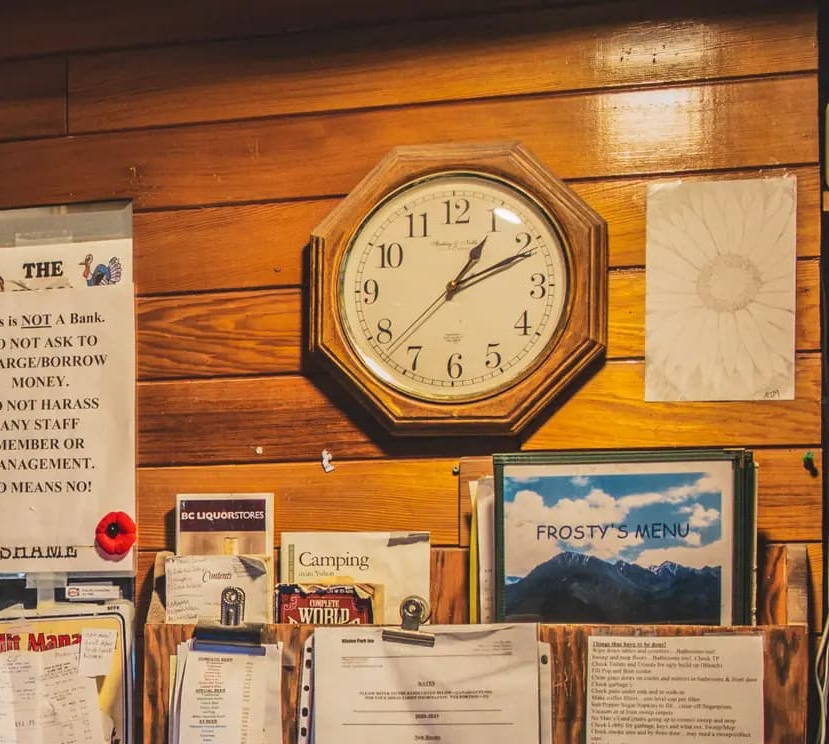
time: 1:10
